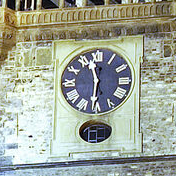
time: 11:31
